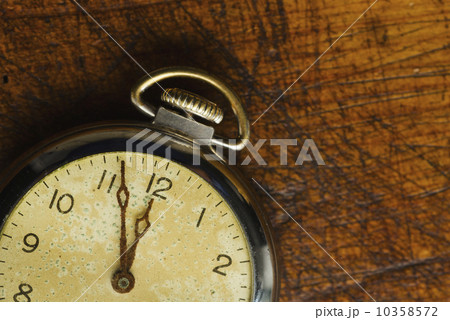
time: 11:56
